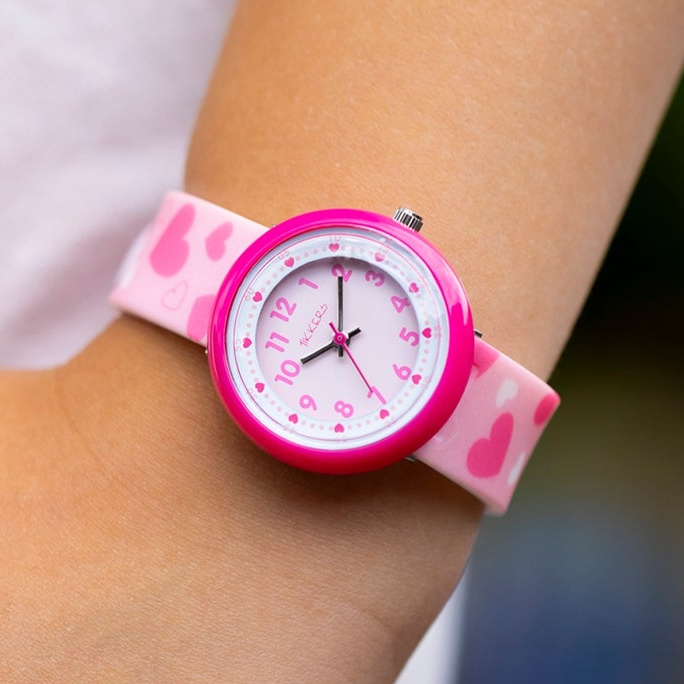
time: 8:00
